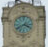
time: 3:40
